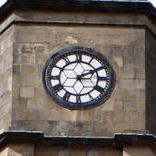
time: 2:10
